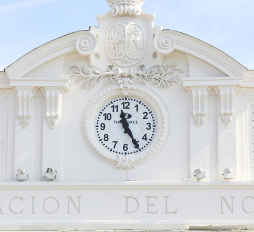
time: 11:24
